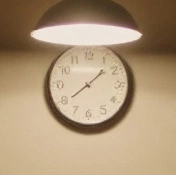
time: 1:39
